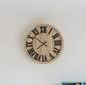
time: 7:51
